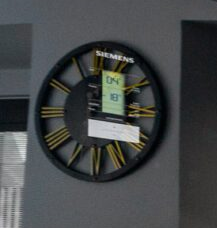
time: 12:16
